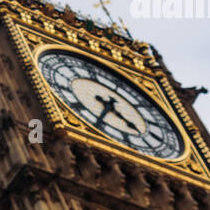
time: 4:35
